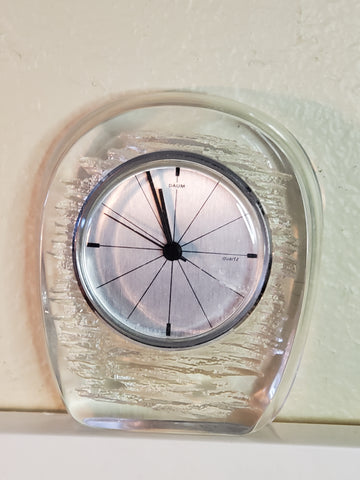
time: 10:56
